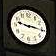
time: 9:15
